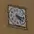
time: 4:16
